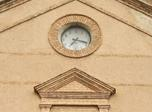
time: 7:17
